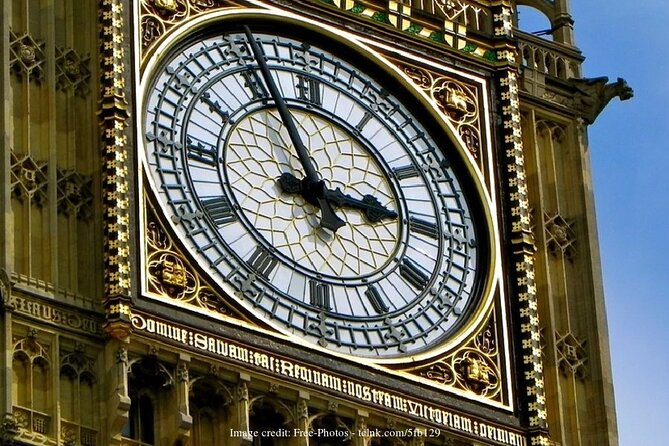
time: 2:56
